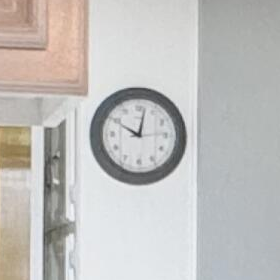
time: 10:02
